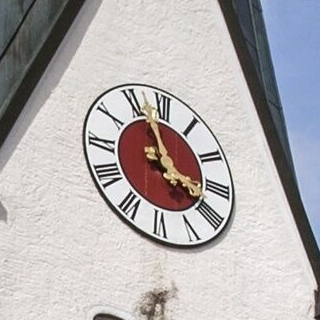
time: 3:57
